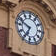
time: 6:48
